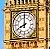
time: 7:59
